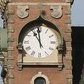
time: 10:58
